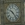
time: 10:23
